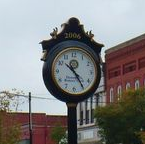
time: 10:24
